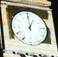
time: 12:59
